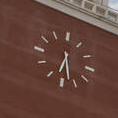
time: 6:27
